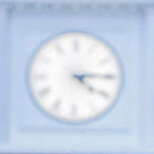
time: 4:14
